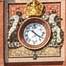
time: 4:21
